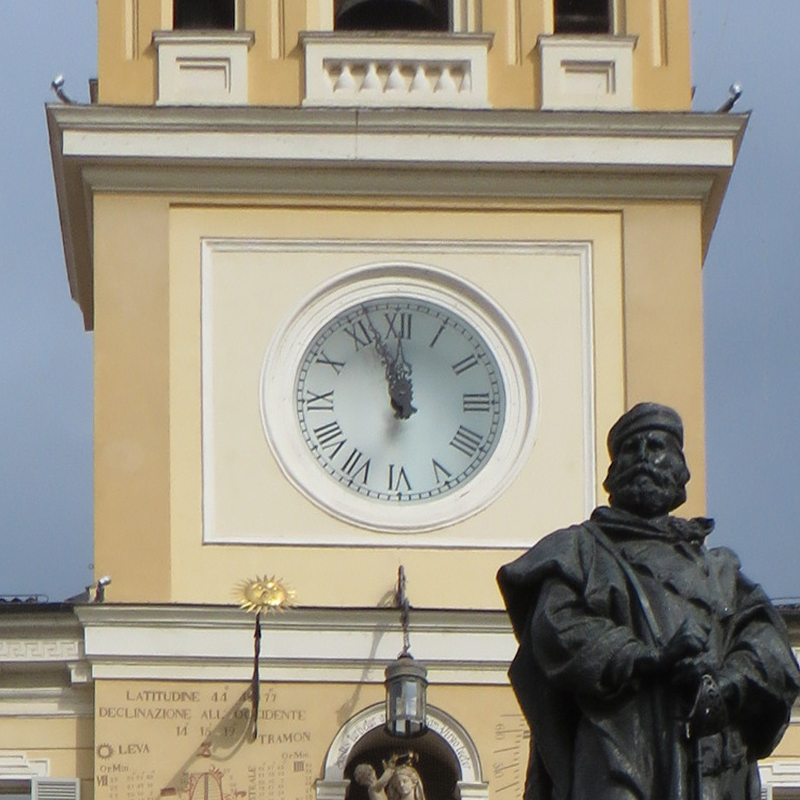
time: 11:56
